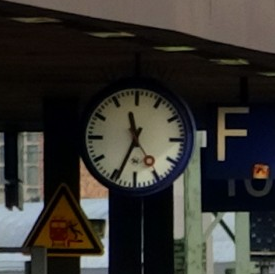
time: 11:34
